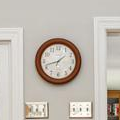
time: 1:42
